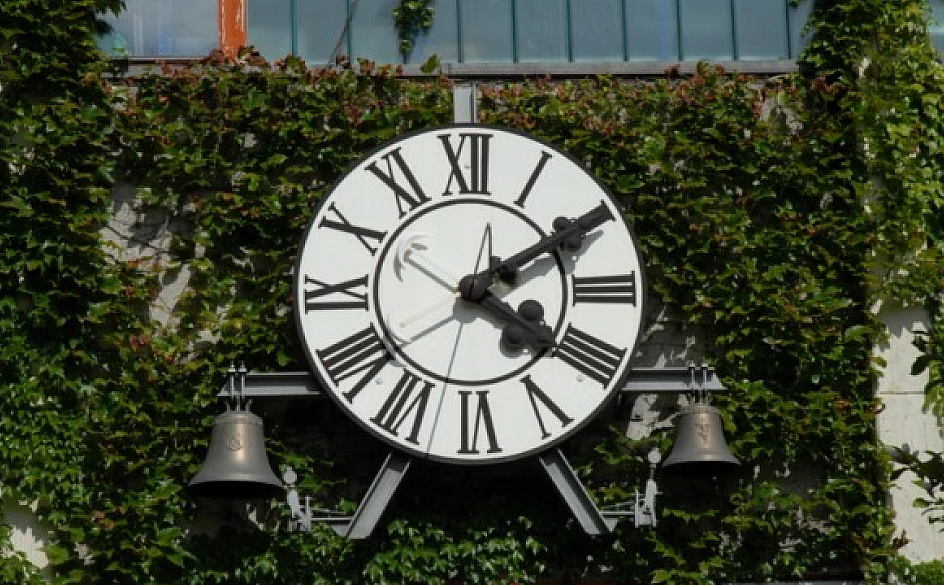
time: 4:09
